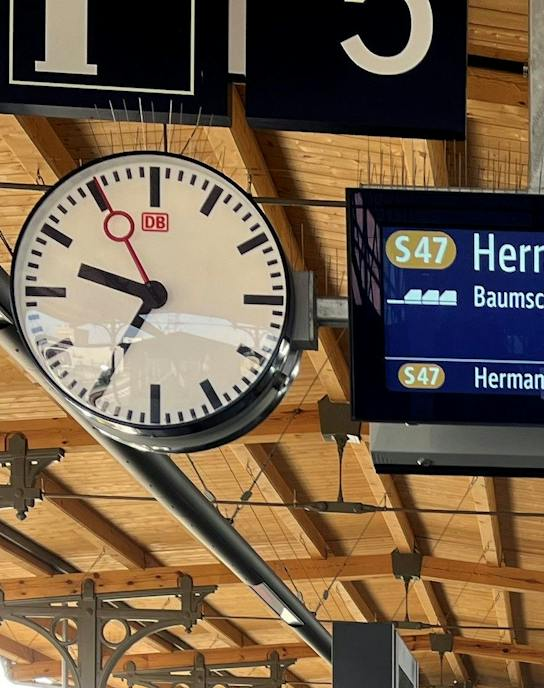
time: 9:34
